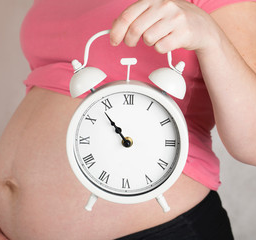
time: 10:53
